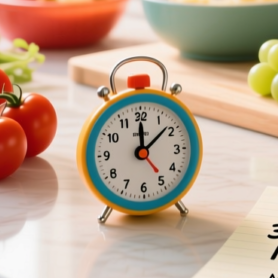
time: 12:07
